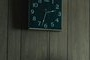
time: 2:33
